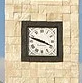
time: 3:48
